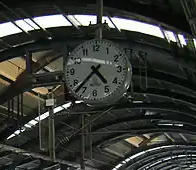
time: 4:37
